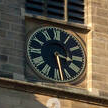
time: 3:28
